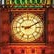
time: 9:10
